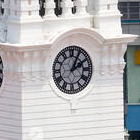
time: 2:04
